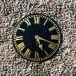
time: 5:18
